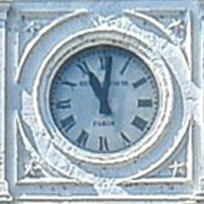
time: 11:01
